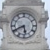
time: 5:40
